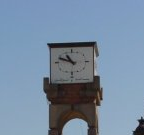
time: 10:48
